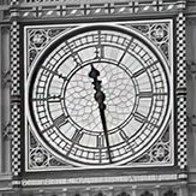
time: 11:28
